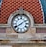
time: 8:09
